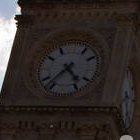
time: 4:37
